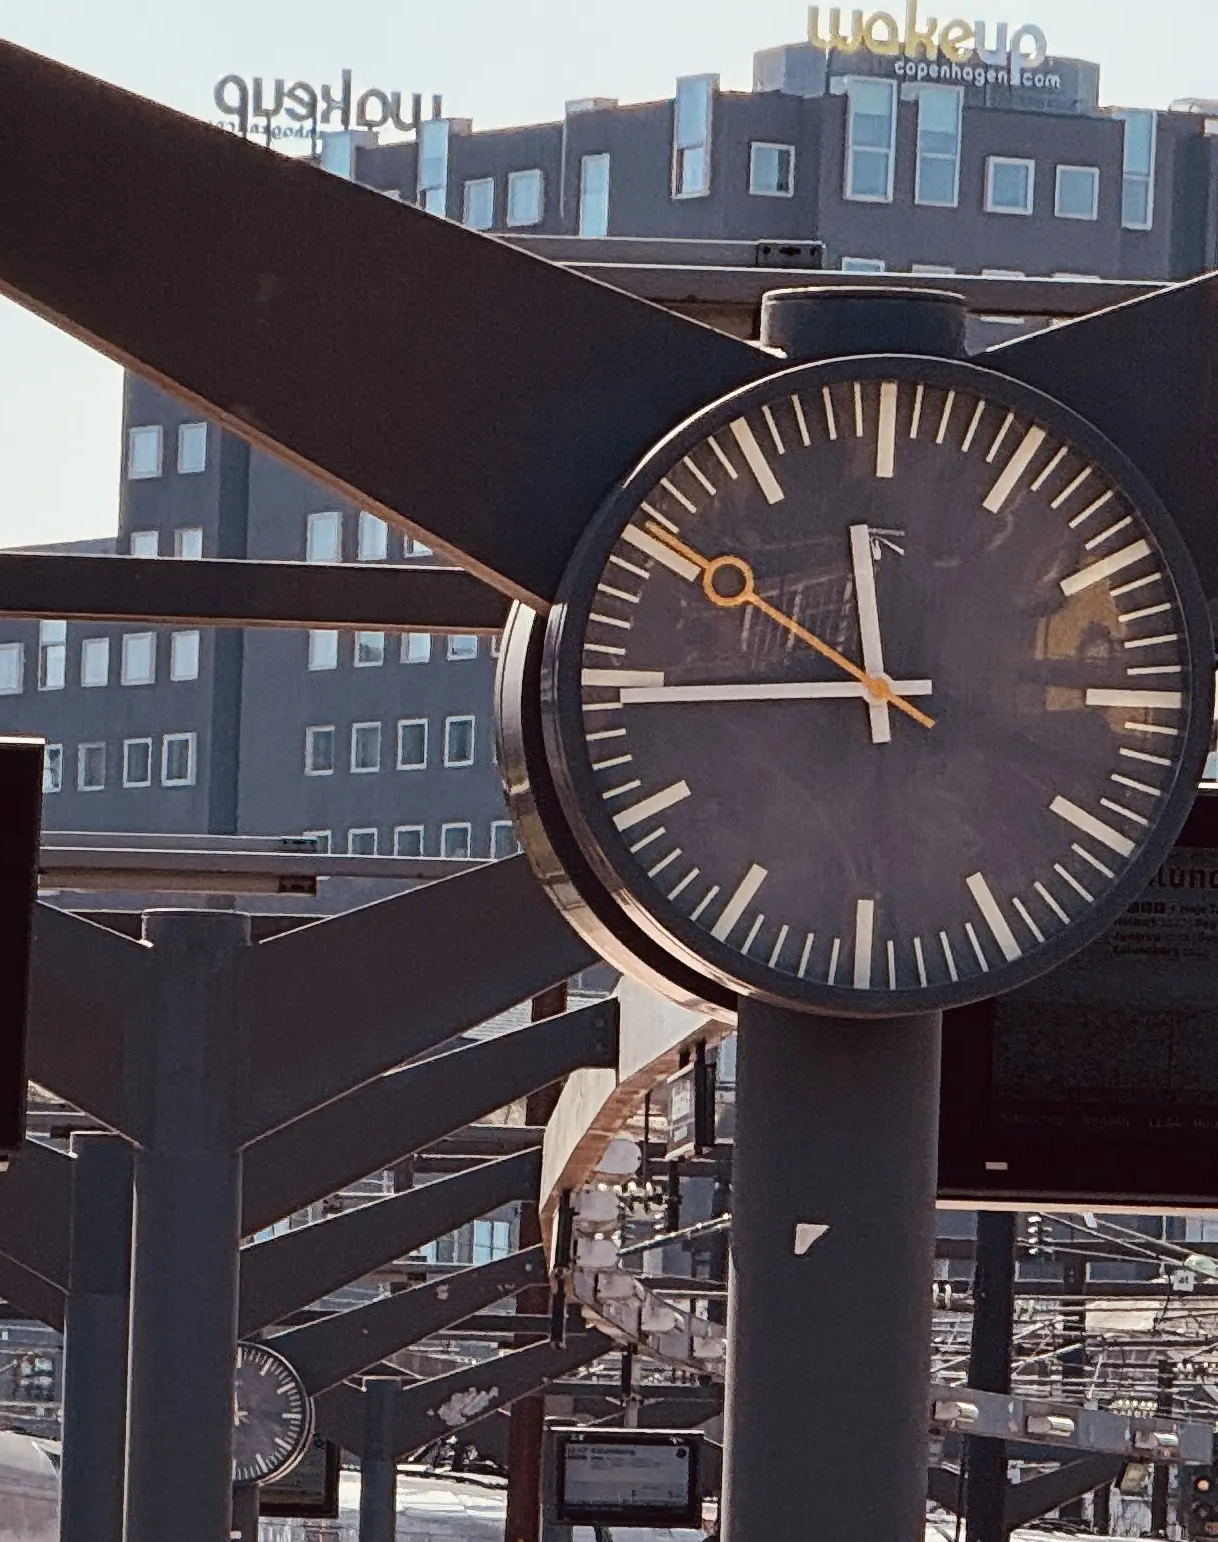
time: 11:44
